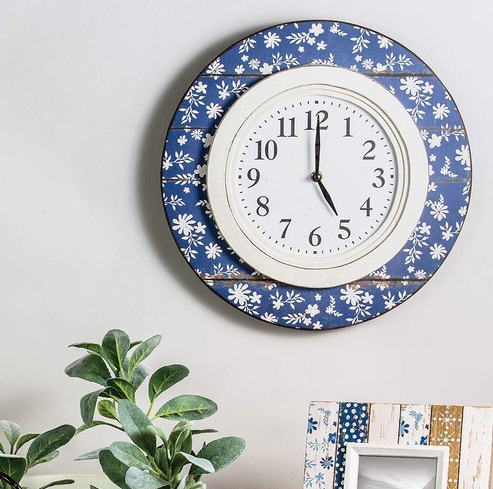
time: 5:00
